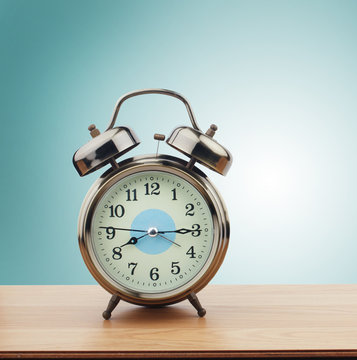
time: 8:14
